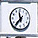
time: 11:36
